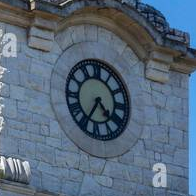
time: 4:35
